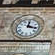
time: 12:16
